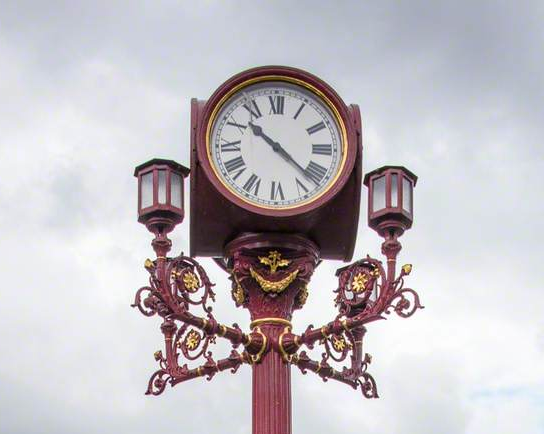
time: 10:21
